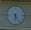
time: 6:24
